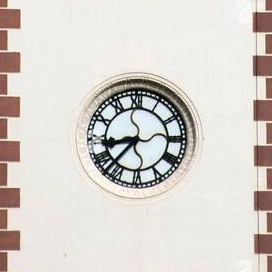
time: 8:37
